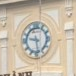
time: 9:28
